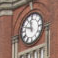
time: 11:48
